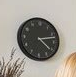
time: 4:12
